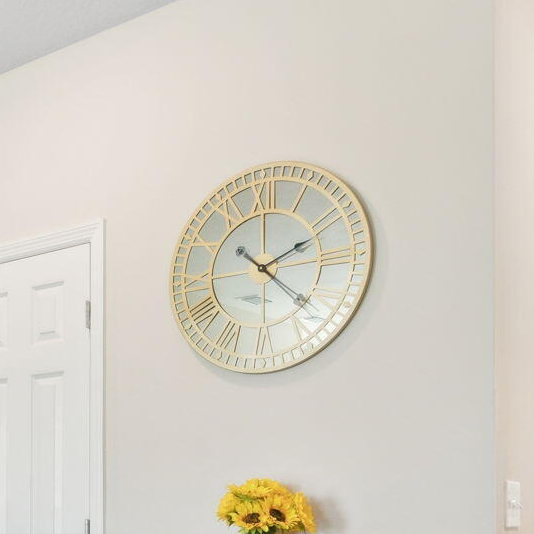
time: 2:21
